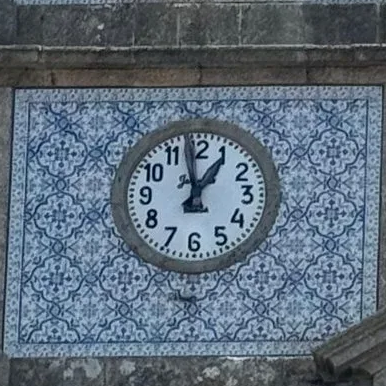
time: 12:58
